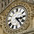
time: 3:23
